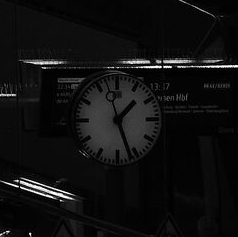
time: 1:26
